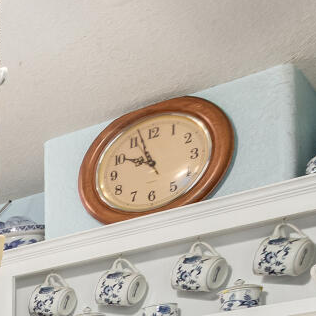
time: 9:56
